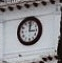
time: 3:01
